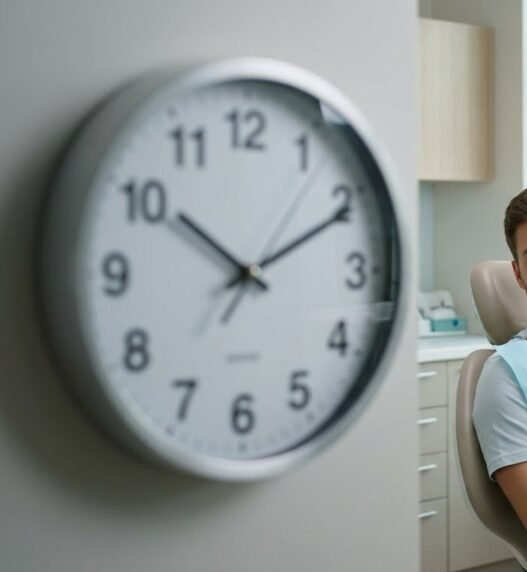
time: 10:10
